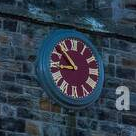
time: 8:53
